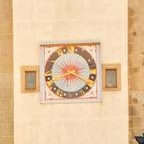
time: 8:18
